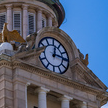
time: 12:14
